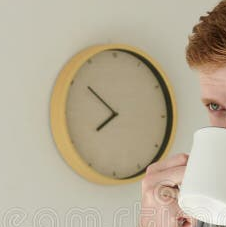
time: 7:51
